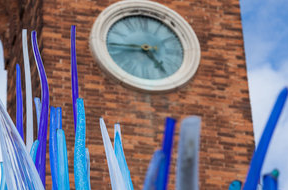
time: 4:44
